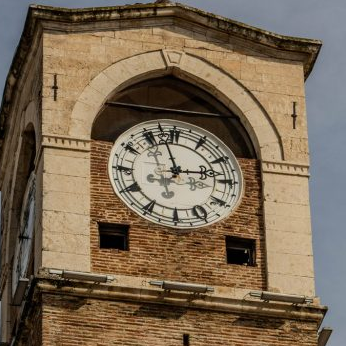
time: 2:57
